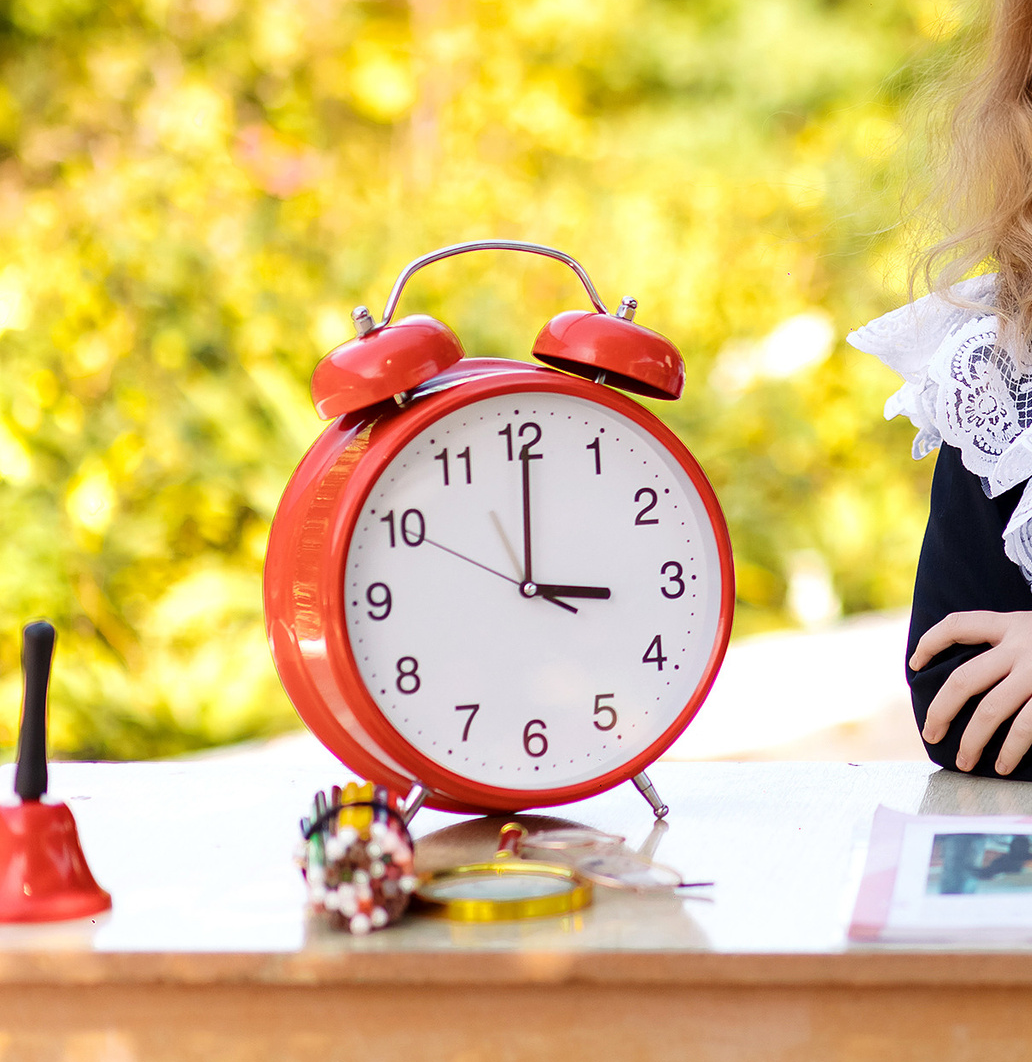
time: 3:00
